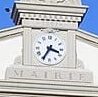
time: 3:35
